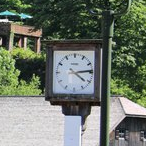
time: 4:13
